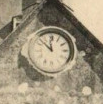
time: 11:52
